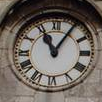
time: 11:05
